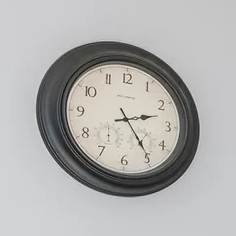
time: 2:24
